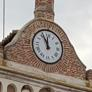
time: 11:55
